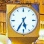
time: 5:35
